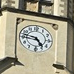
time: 4:46
